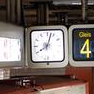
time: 8:03
